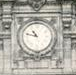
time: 10:47
